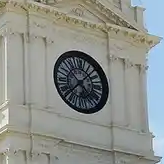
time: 1:37
